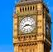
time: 8:17
